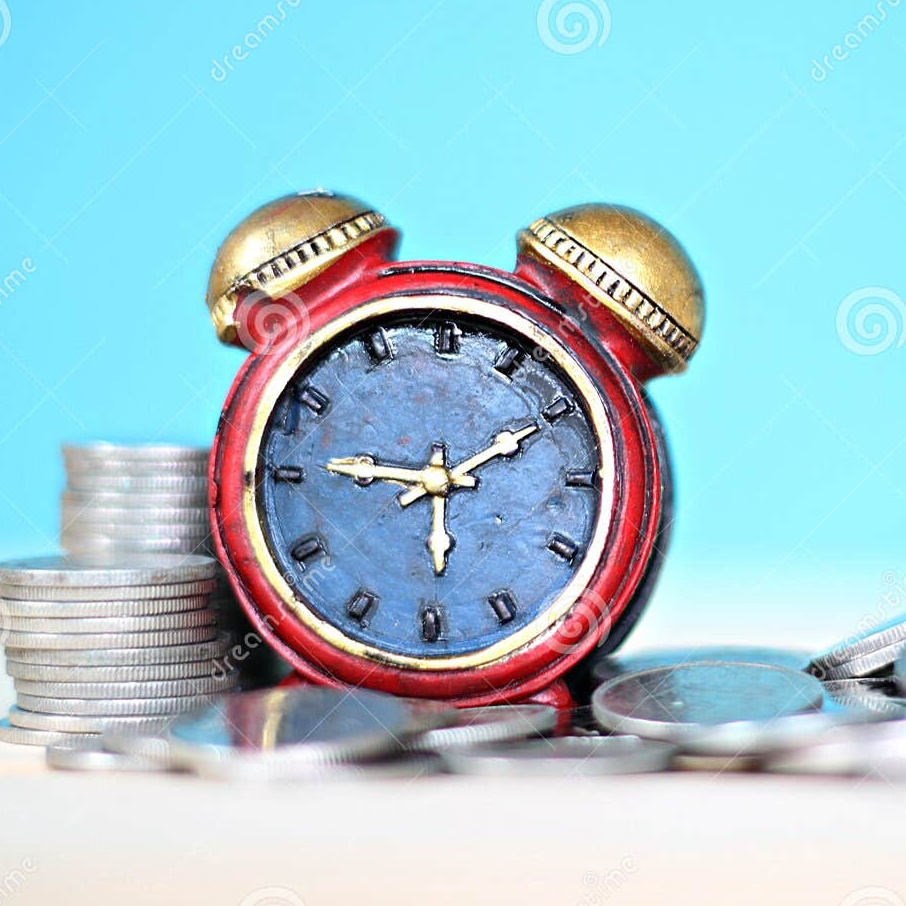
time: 9:10
